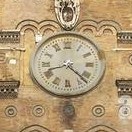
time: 8:22
